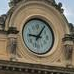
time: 9:06
